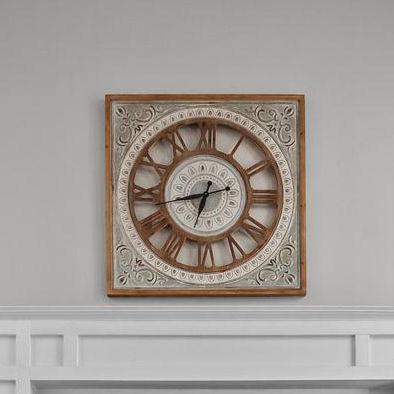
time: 6:42
